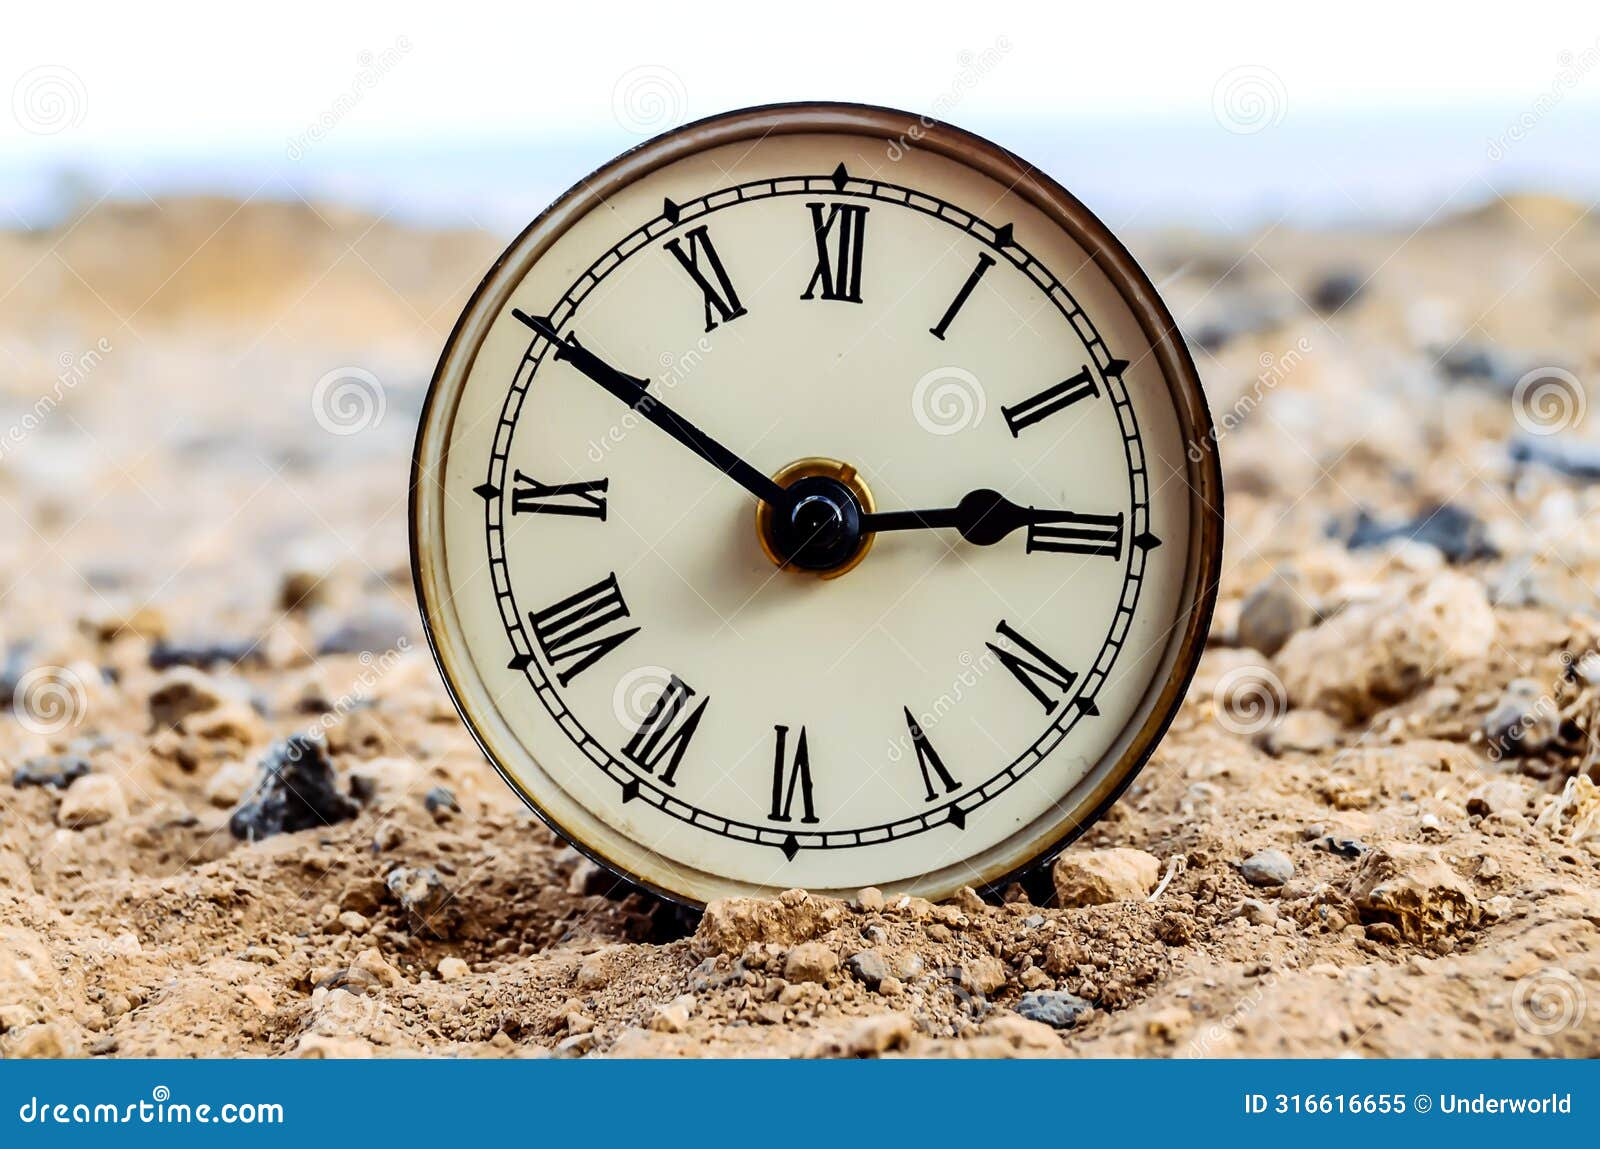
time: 2:49
